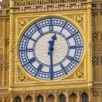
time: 12:29
